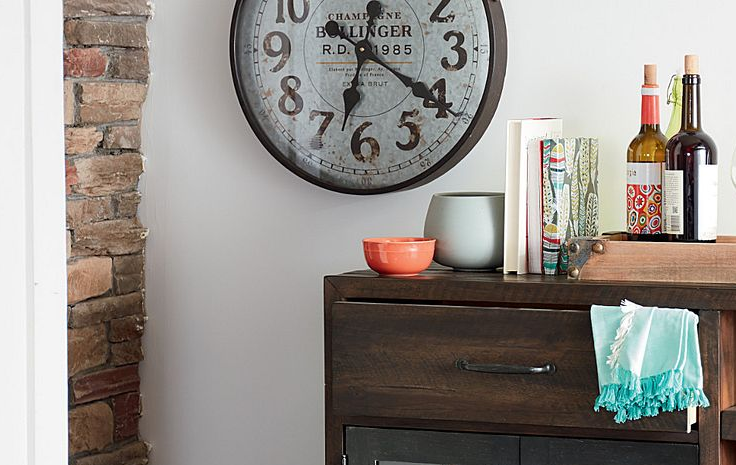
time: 6:20
